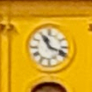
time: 11:18
